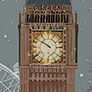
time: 9:50
